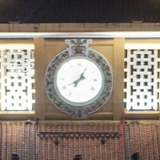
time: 8:04
